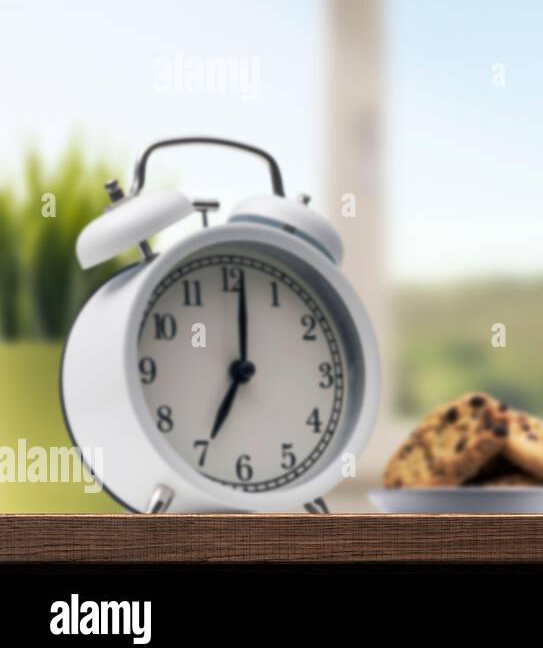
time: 7:01
